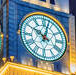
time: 10:02
